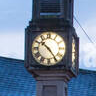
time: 10:24
